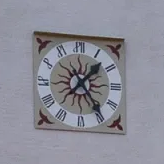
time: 1:24
